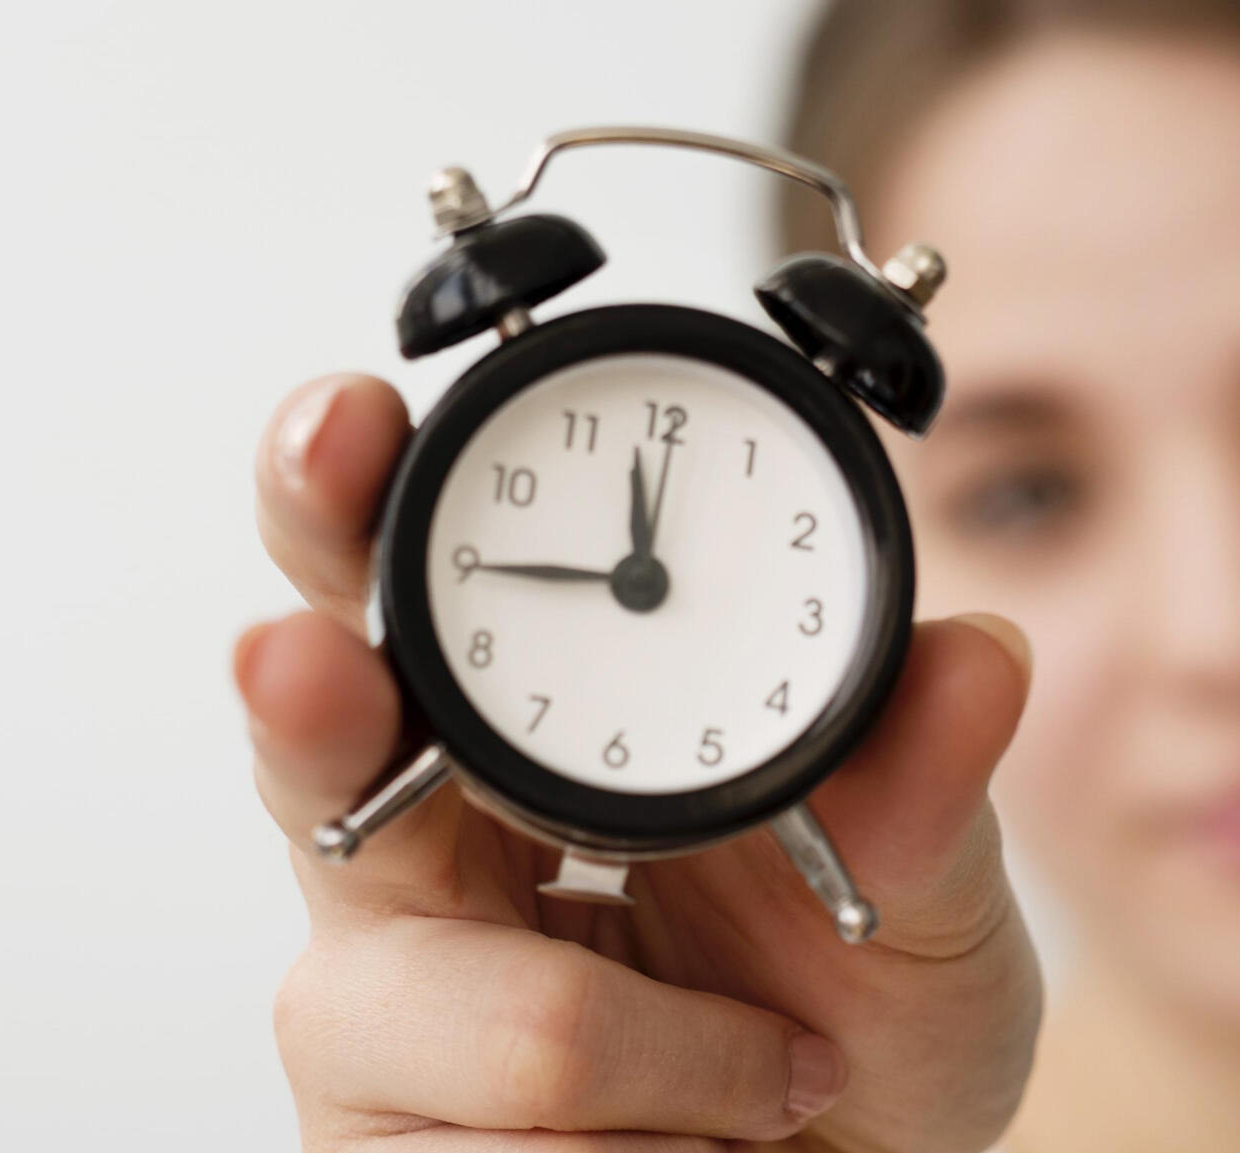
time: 11:44
